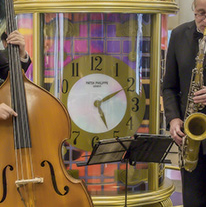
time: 5:10
